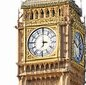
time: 2:58
